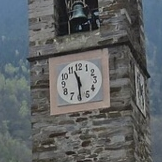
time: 11:29
